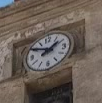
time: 1:50
